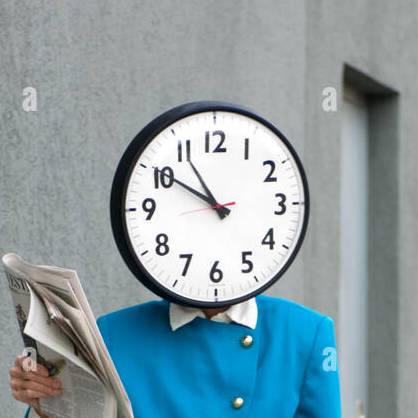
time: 10:50
